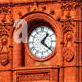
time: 1:21
